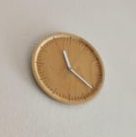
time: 11:20
